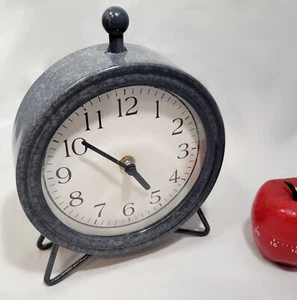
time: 4:51
